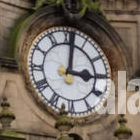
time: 3:01
